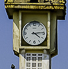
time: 4:14
